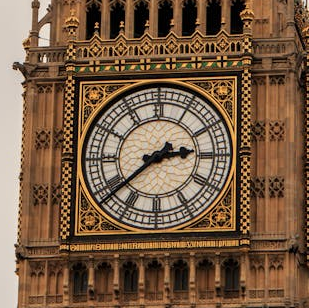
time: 2:38
